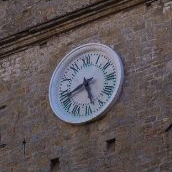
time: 5:42
